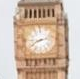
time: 8:12
